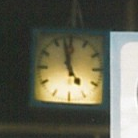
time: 4:57
